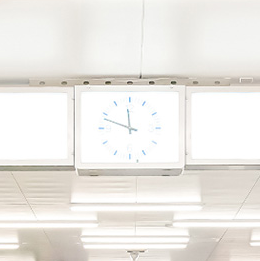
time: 11:48
